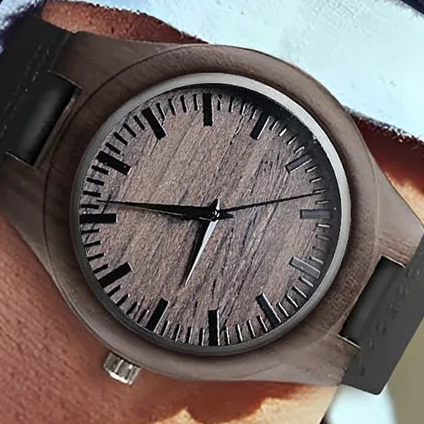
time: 6:46
